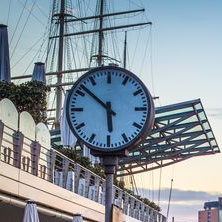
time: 5:51
